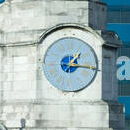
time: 1:16
